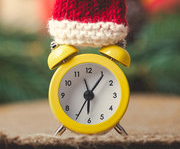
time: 6:06
